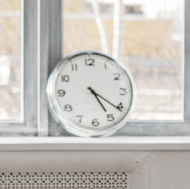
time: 5:21
